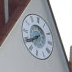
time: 7:39
